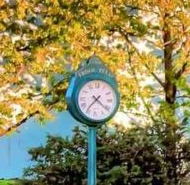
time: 7:21
